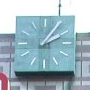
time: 2:06
